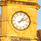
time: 1:11
